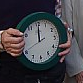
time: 12:00
